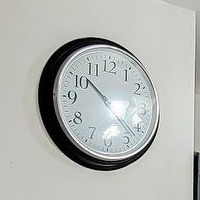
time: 10:22
